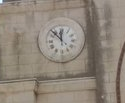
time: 11:52
